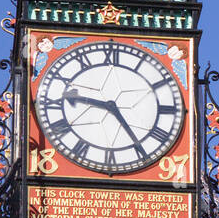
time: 9:24
